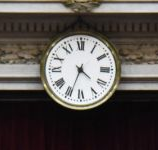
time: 4:34
